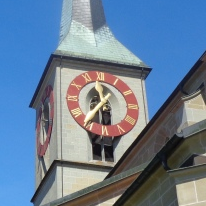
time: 11:36
